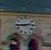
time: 2:44
